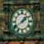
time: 1:39
